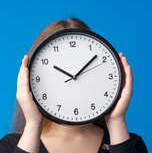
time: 10:07
